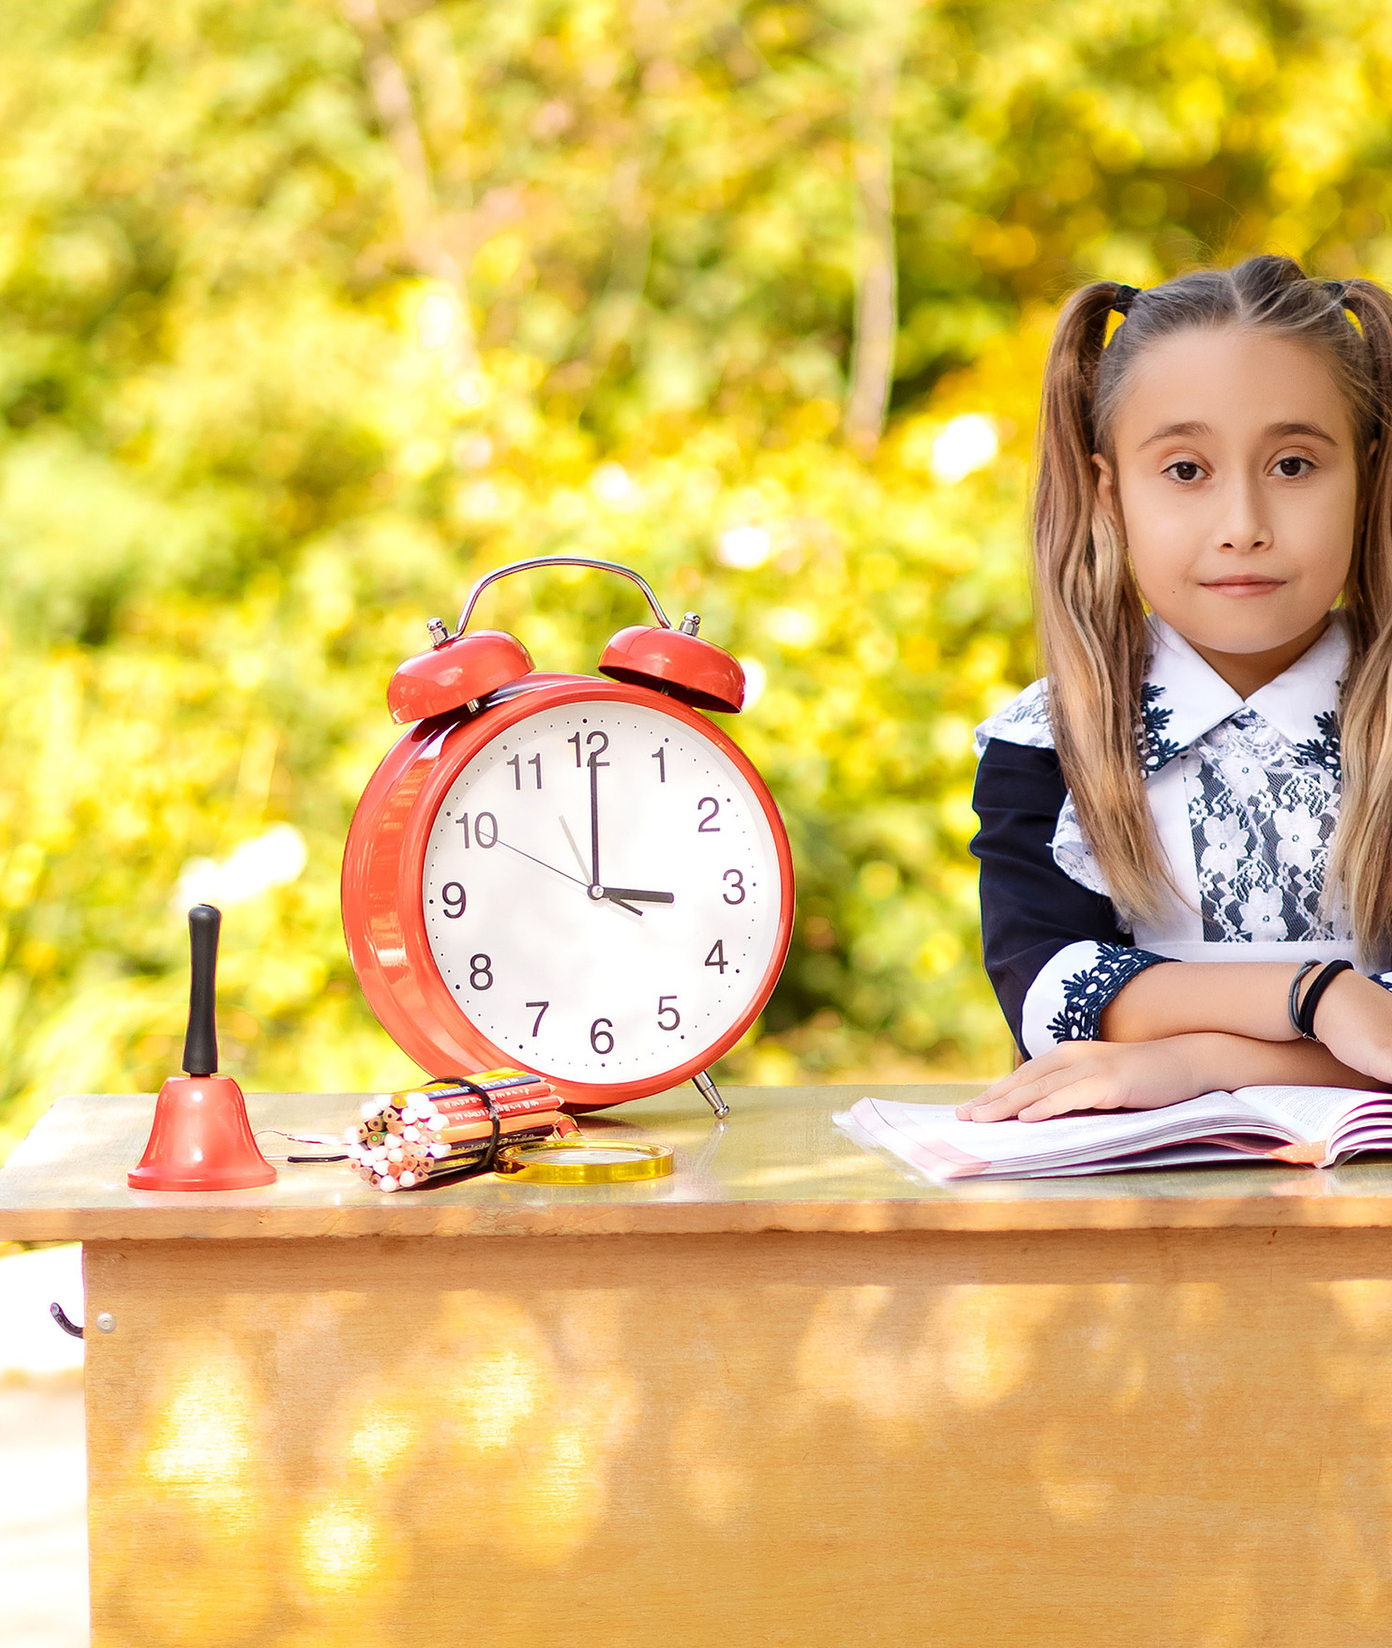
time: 3:00
